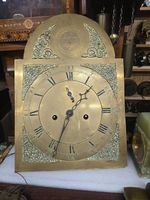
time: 1:34
